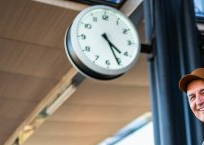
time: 4:25
